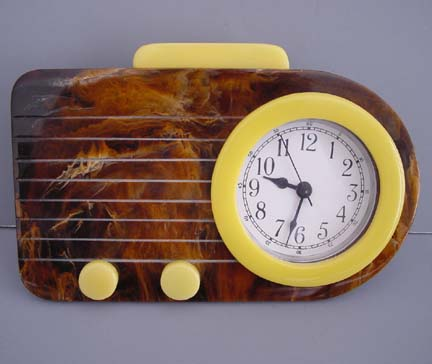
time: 9:32
